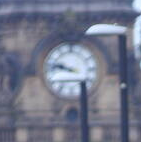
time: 9:47
